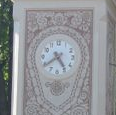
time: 4:39
